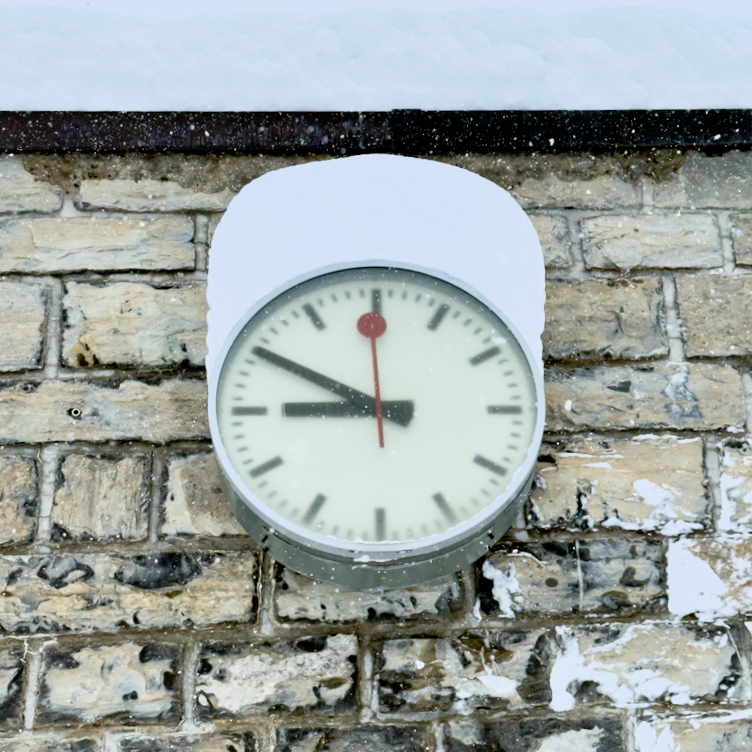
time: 8:49
